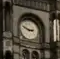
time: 2:48
